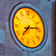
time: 7:13
